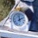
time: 1:59
